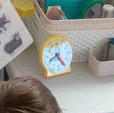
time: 8:24
